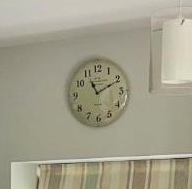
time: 11:10
